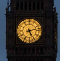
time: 5:12
